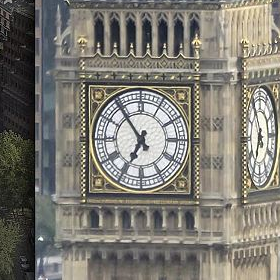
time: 6:53
